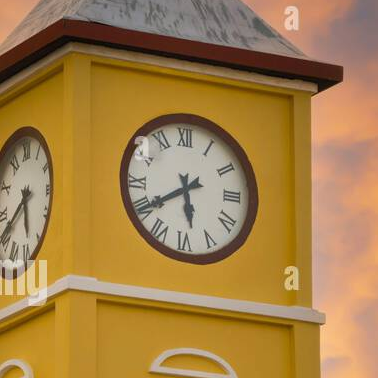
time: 5:39
